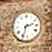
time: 2:33
